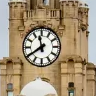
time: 11:39
